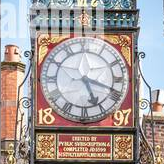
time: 5:18
